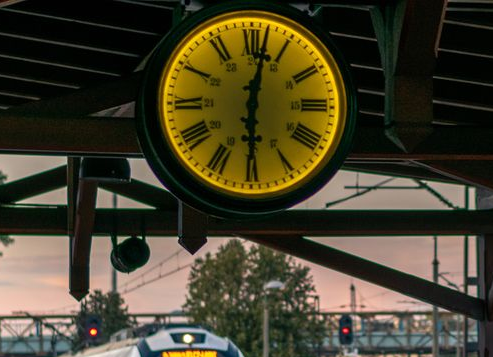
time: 6:02
